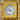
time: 10:45
